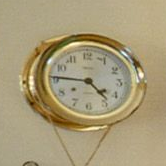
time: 4:45
